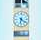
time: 6:21
